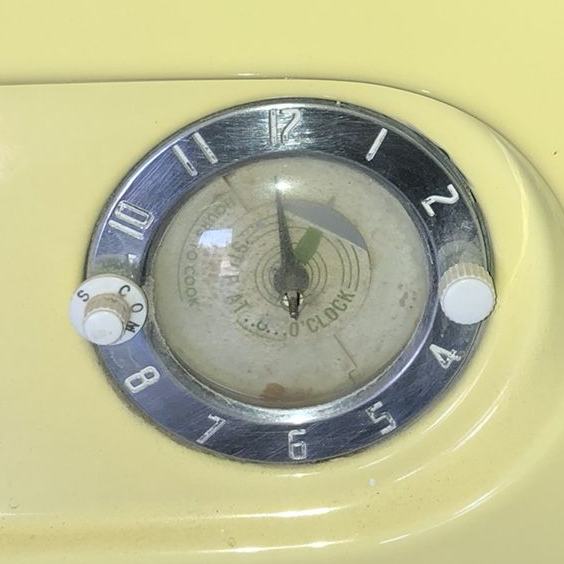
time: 11:59
